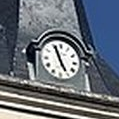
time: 4:56
